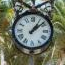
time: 1:08
